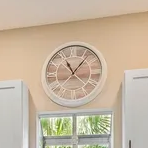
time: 11:06
